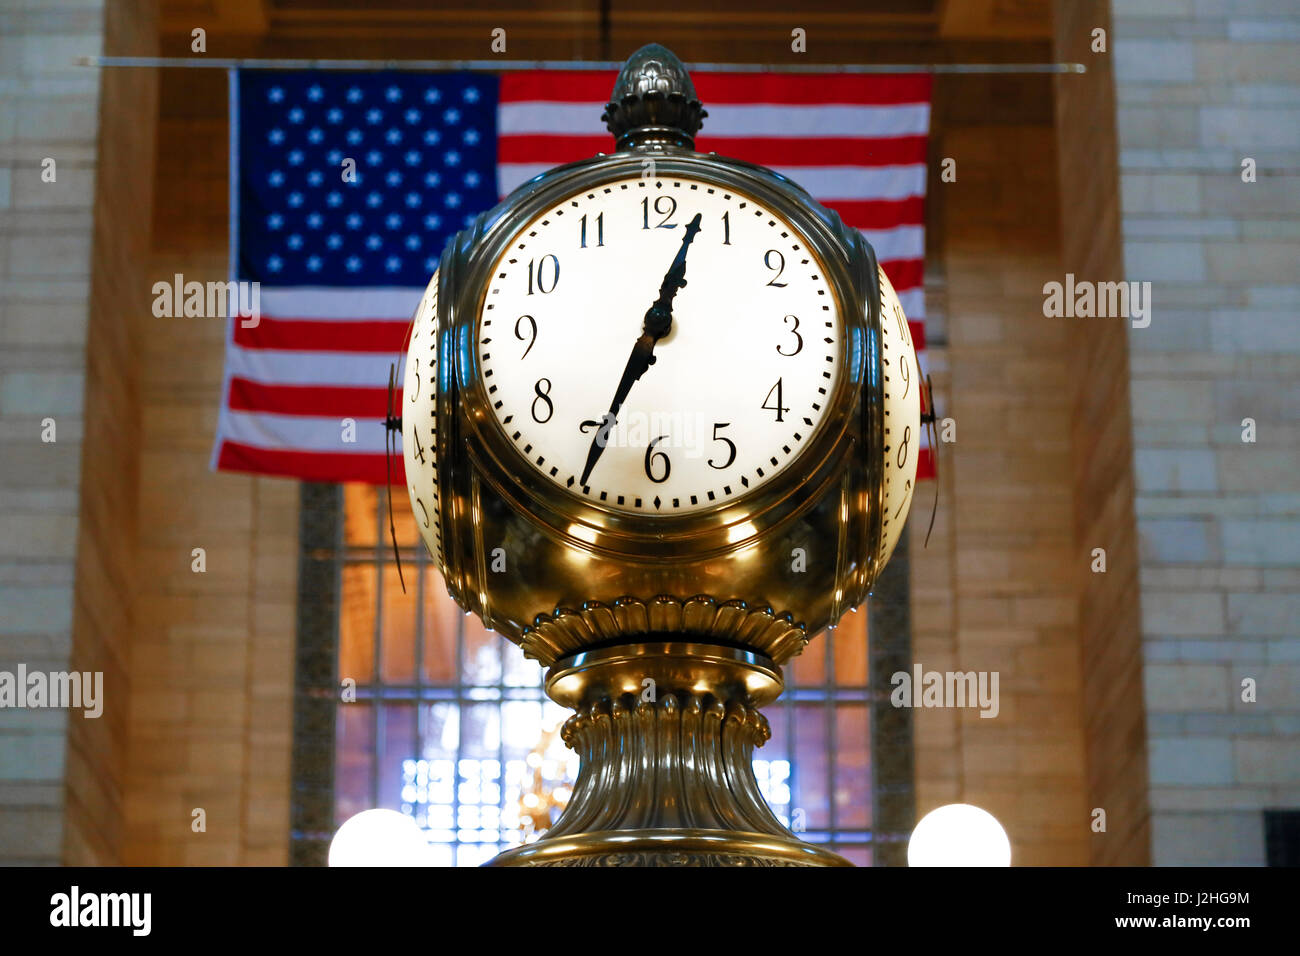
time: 7:03
